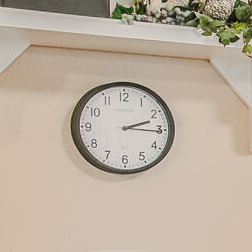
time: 2:15
